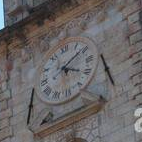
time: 4:09
